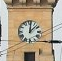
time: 12:07
